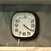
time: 4:20
